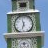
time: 11:32
